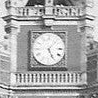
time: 5:06
